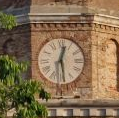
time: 12:28
